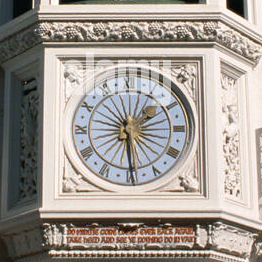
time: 1:29
